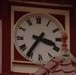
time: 3:36
